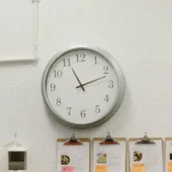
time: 11:11
